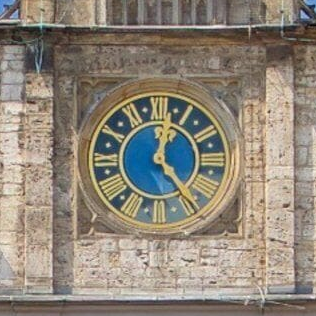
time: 12:23
